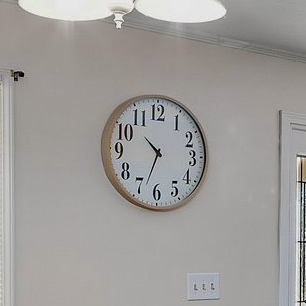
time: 10:33
